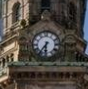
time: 6:36
